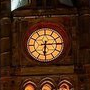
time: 6:14
